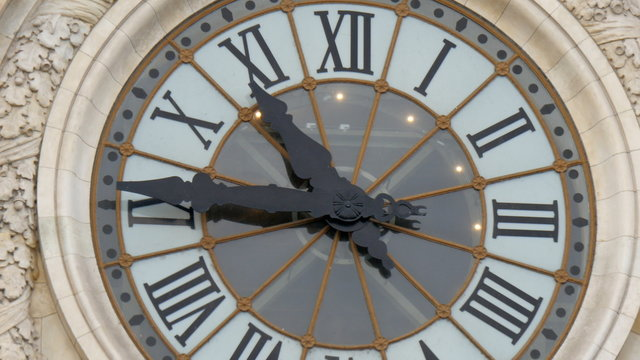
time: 10:45
